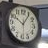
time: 10:05
